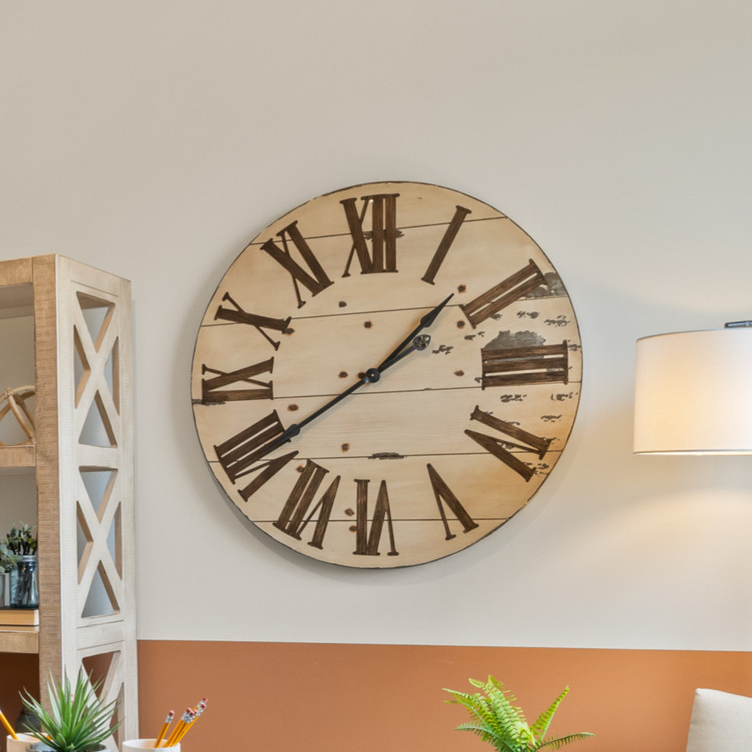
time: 1:39
